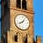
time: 8:06
